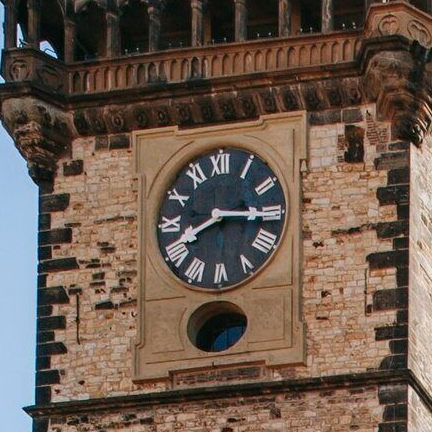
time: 8:15
